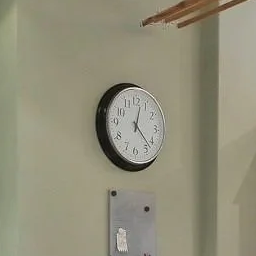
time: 12:22
